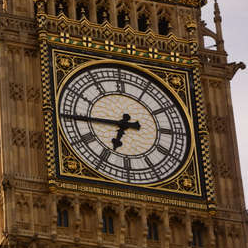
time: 6:44
